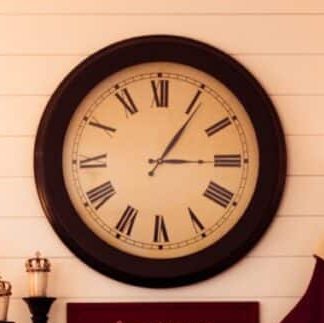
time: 3:05
